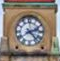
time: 2:23
